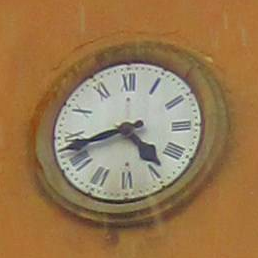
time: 4:42
